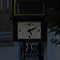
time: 5:08
